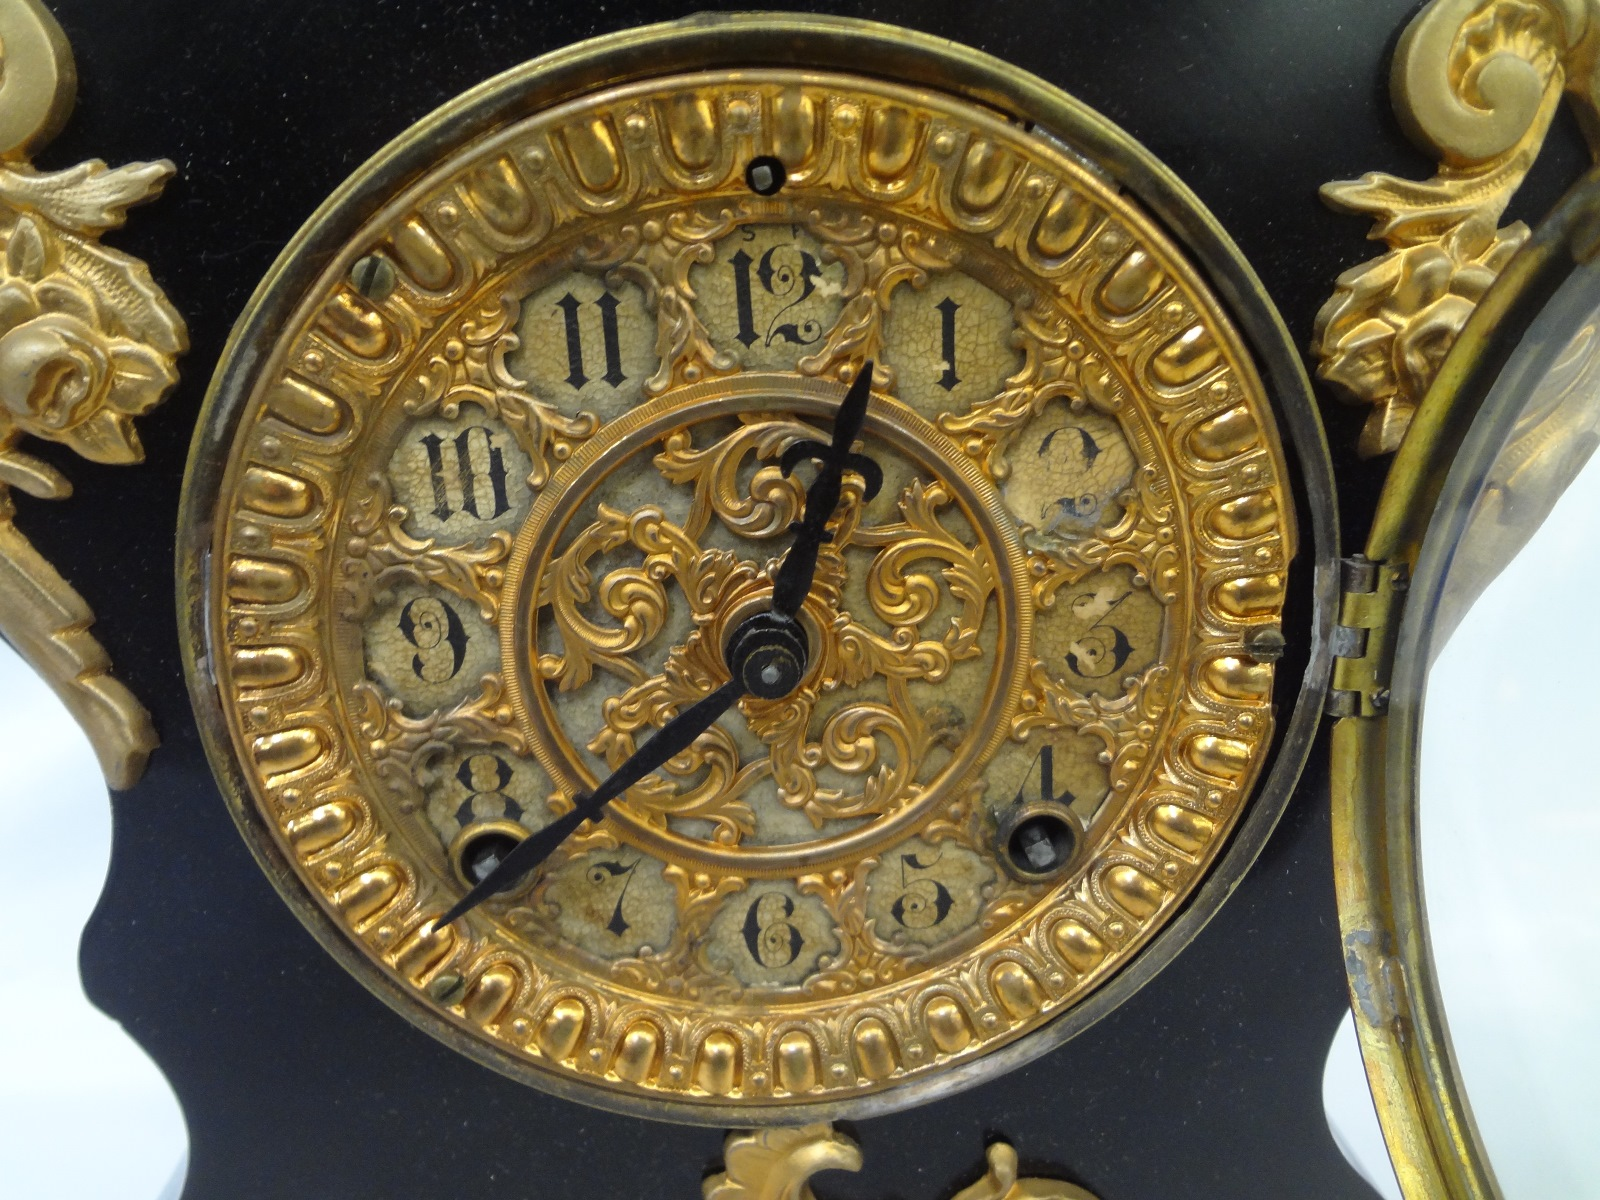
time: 12:37
